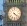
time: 4:21
